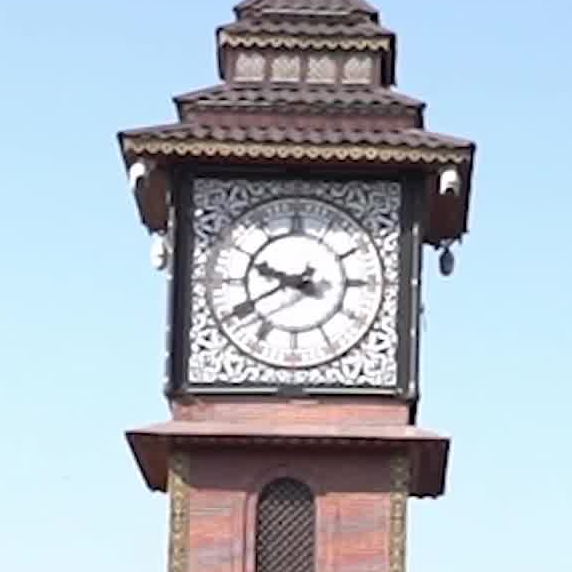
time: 9:40
